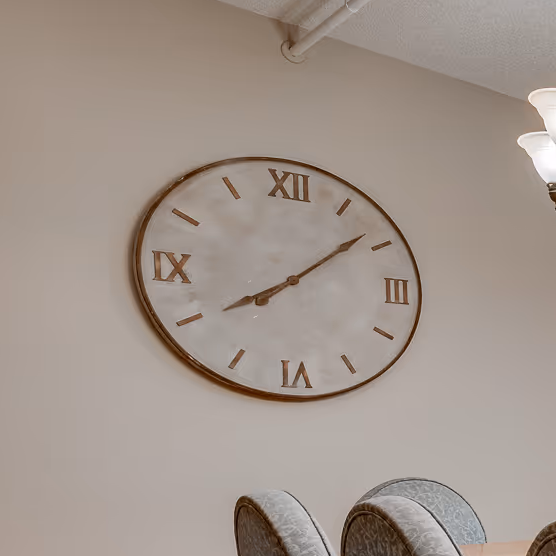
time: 8:08
